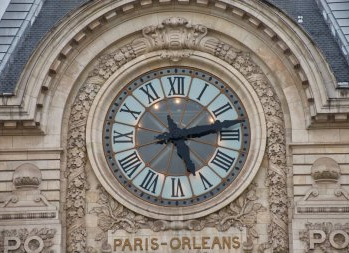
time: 5:12
